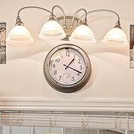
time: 1:18
